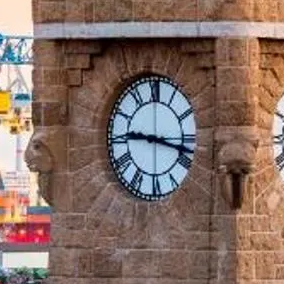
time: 9:17
